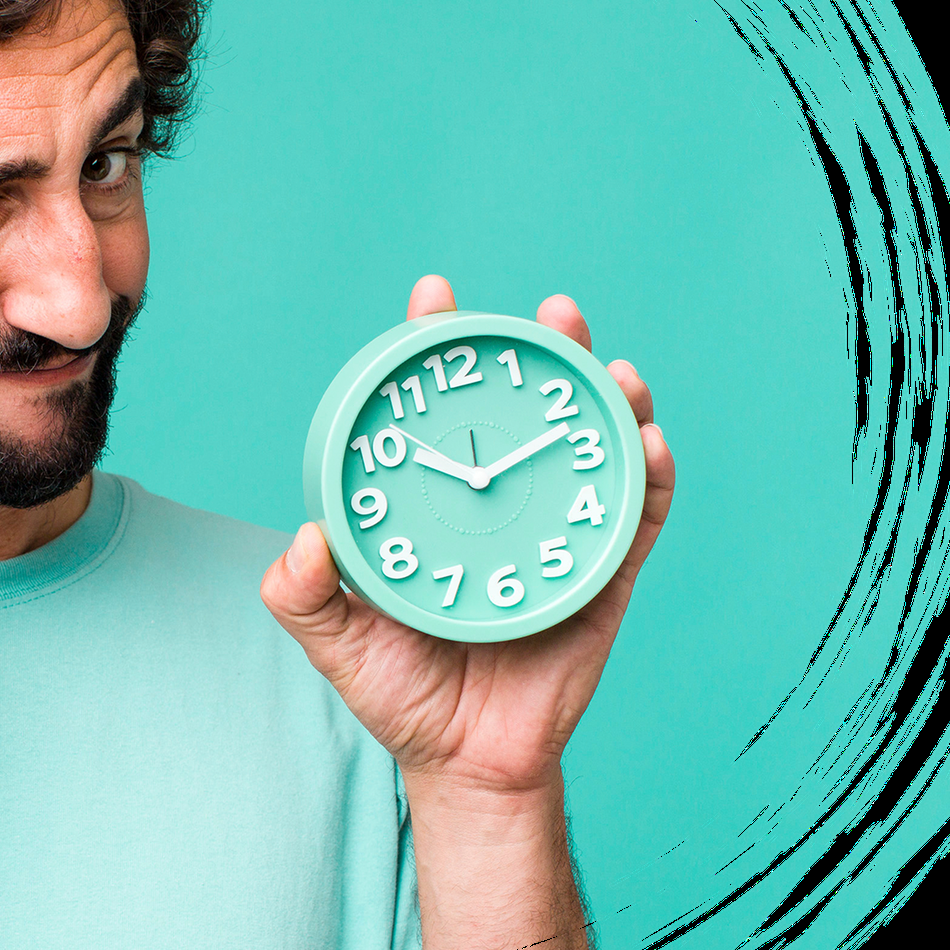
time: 10:12
